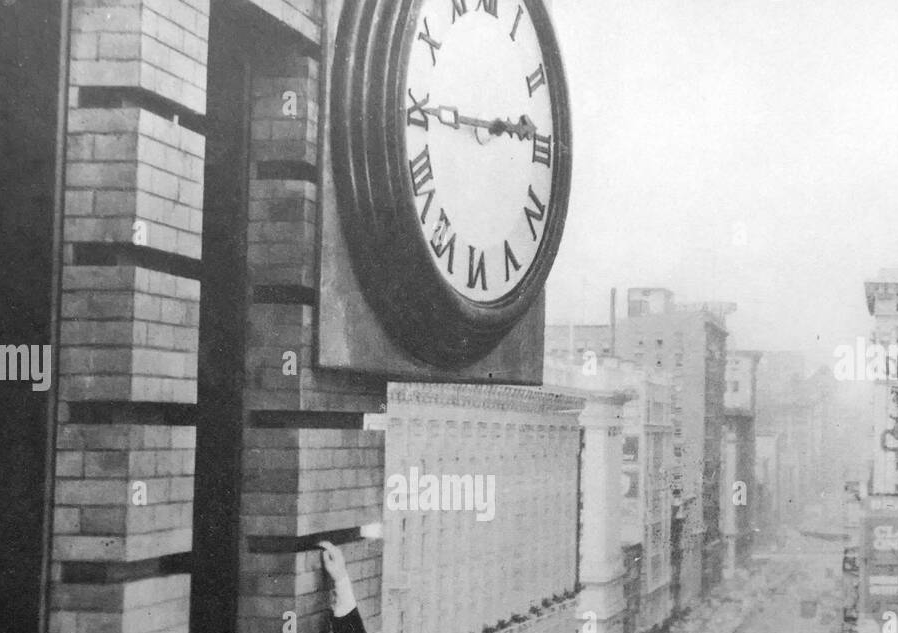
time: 2:44
